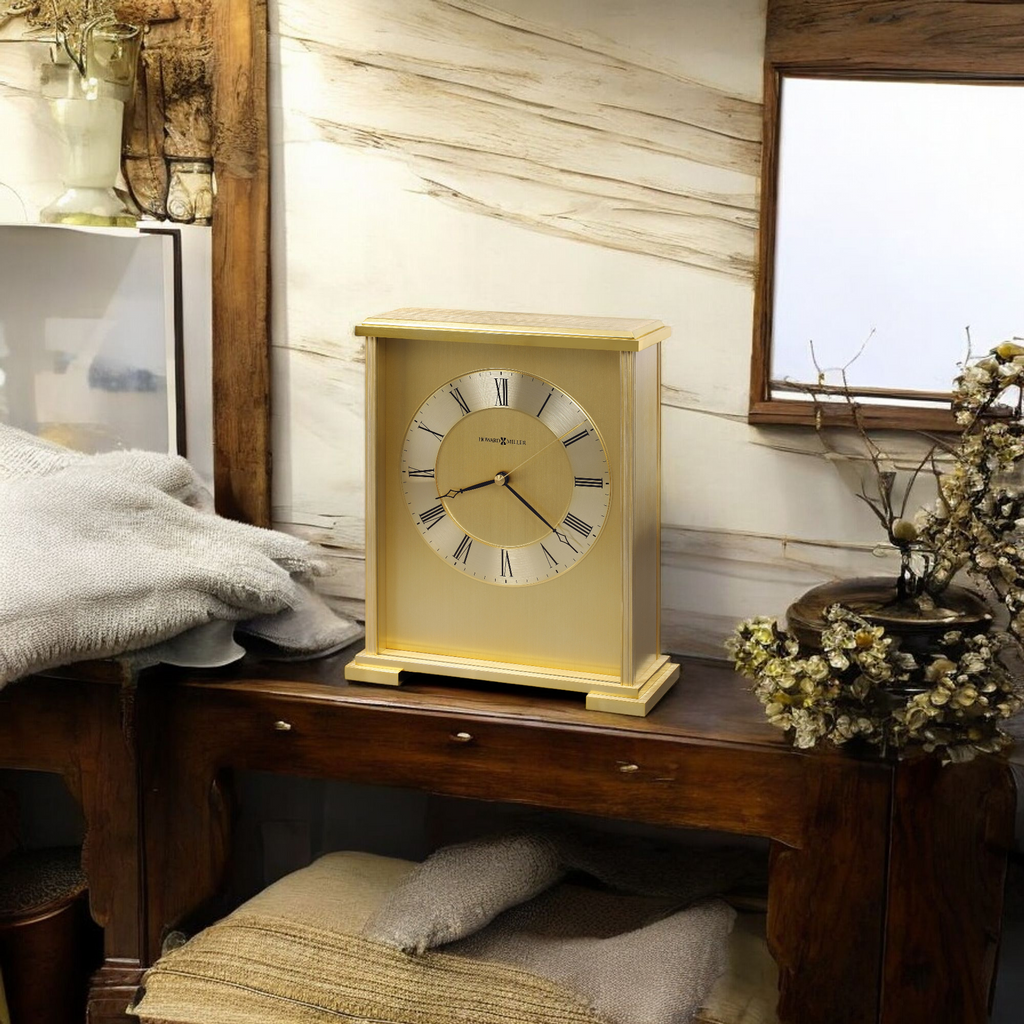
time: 8:21
